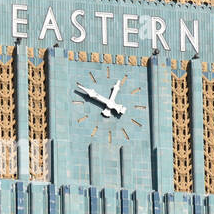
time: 12:49
